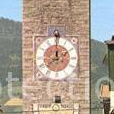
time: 7:59
